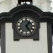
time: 1:24
